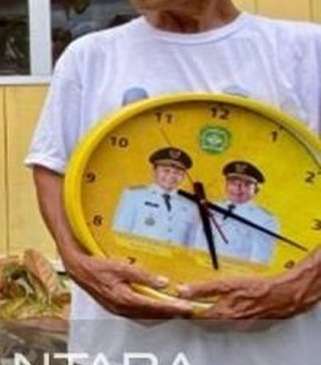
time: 5:18
